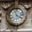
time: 3:57
